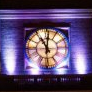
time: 11:01
